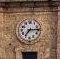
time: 7:15
